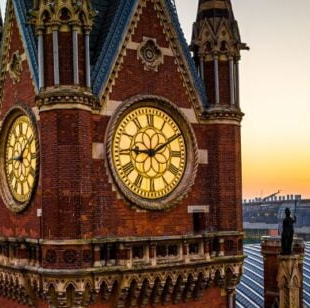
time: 9:10
